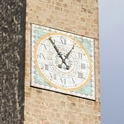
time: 12:54
